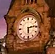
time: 6:14
